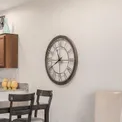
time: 11:40
